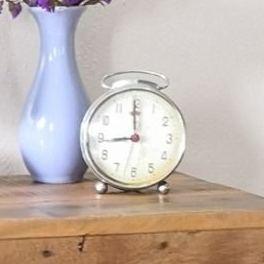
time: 8:59
